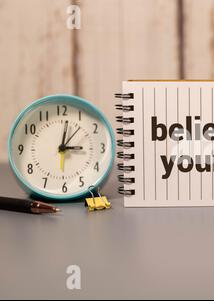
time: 3:01
